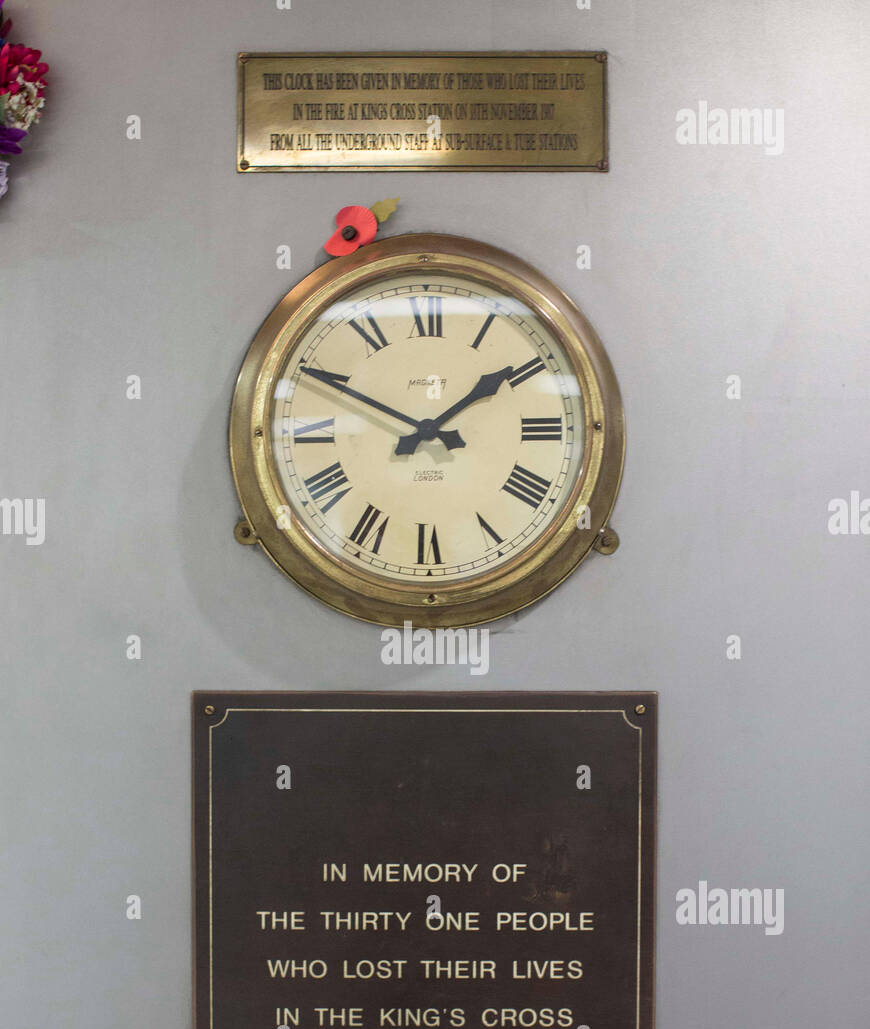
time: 1:49
